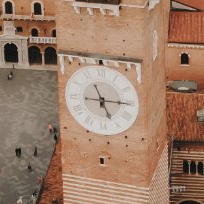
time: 5:15
